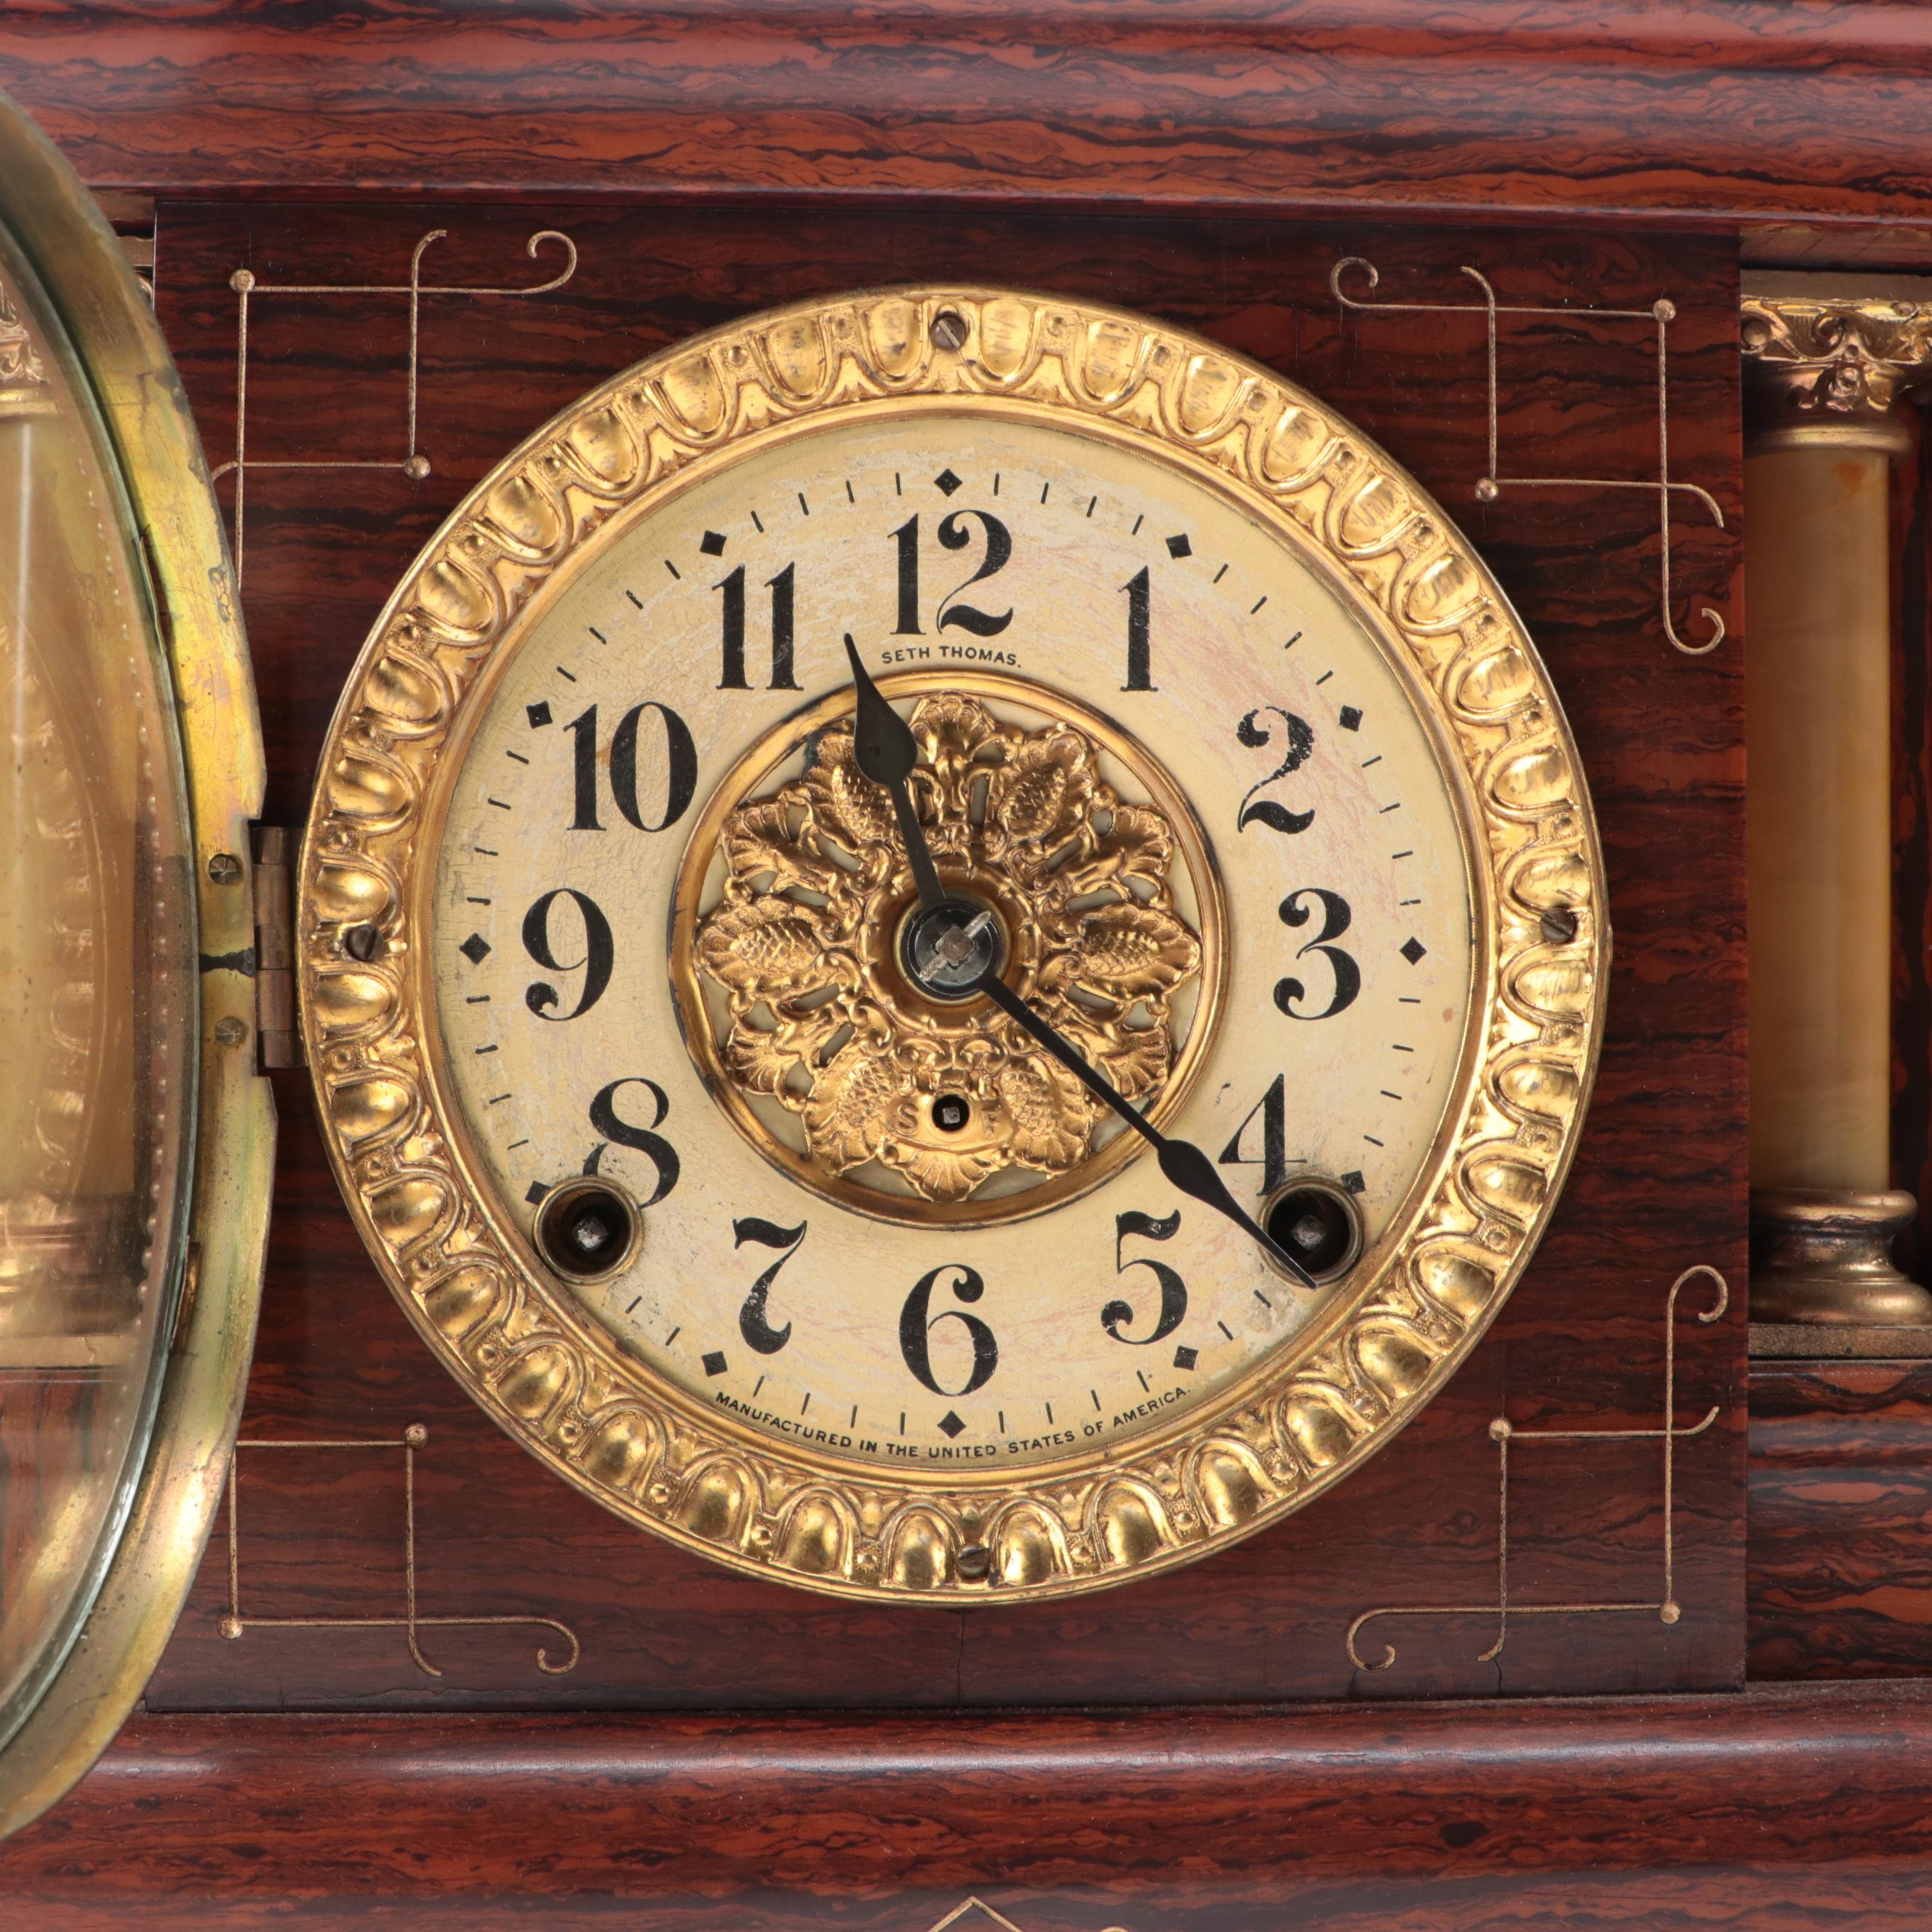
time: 11:21
